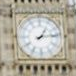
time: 1:13
